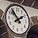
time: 1:53
